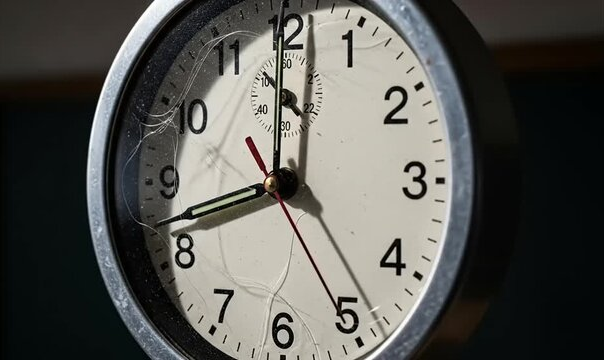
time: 11:42
